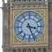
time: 3:26
